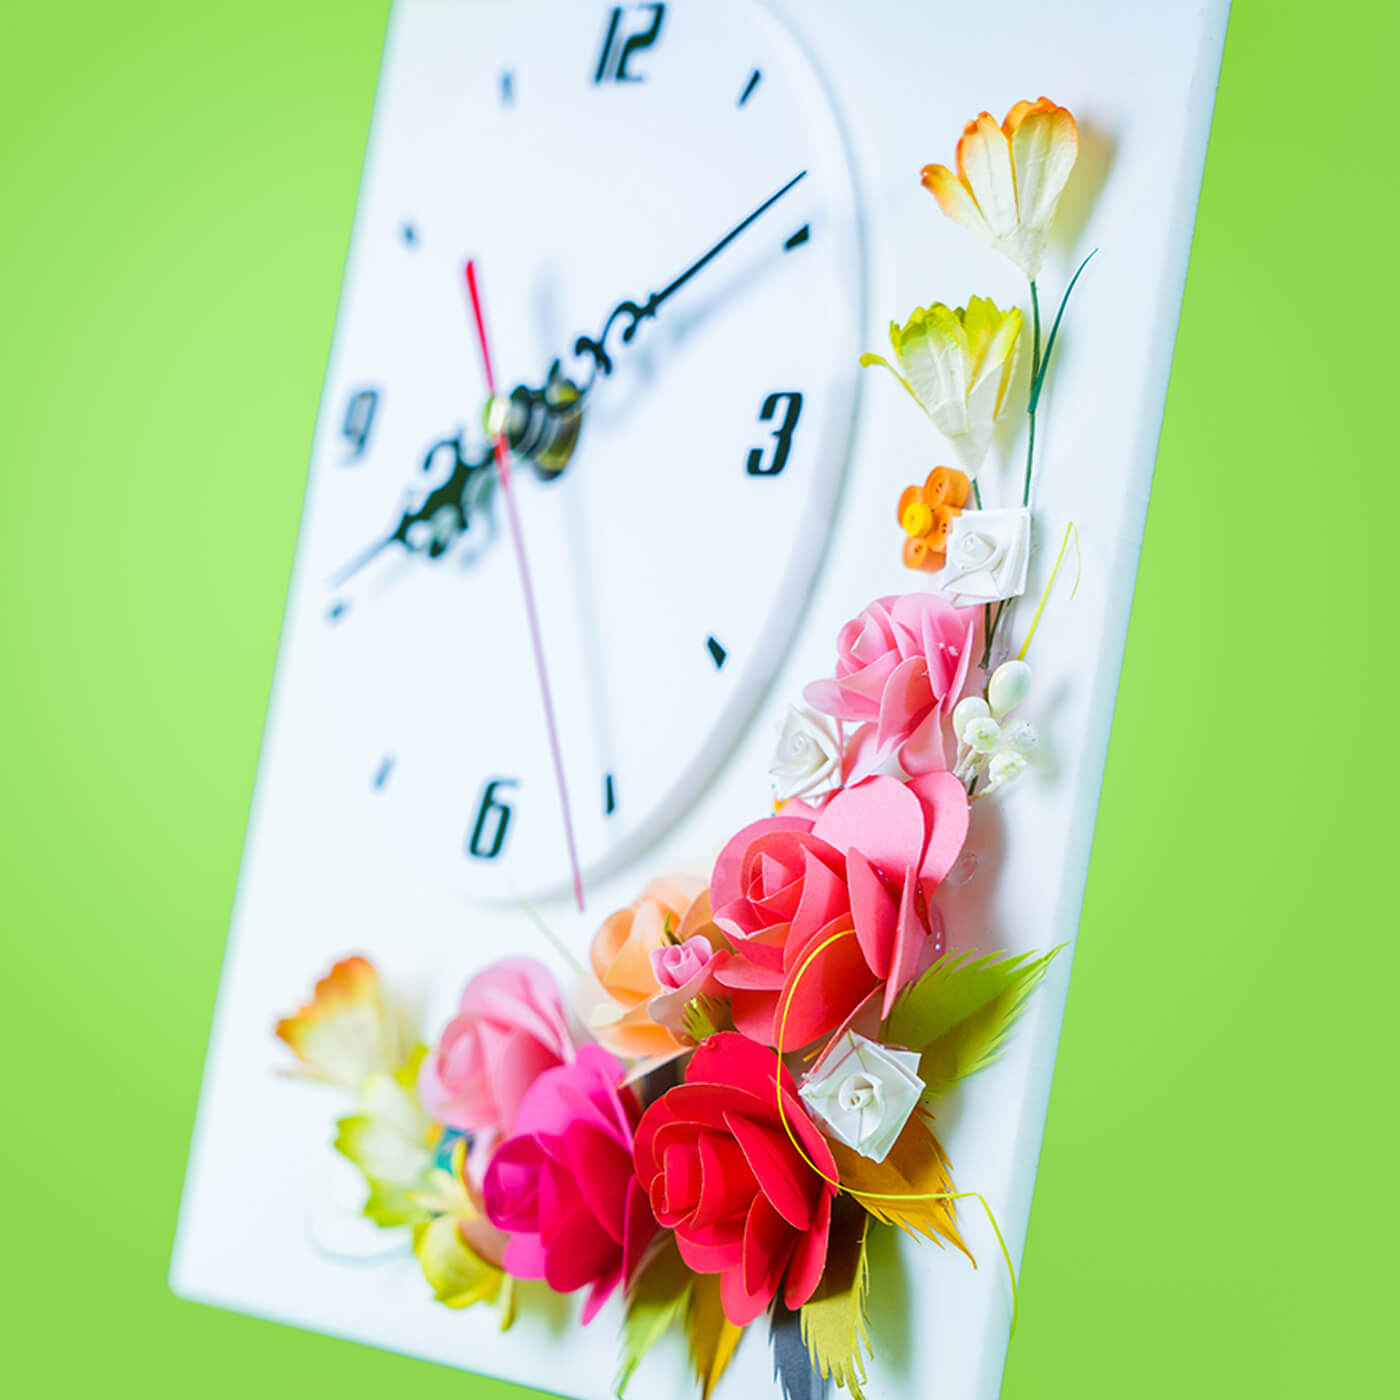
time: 8:09
